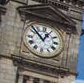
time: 12:52
